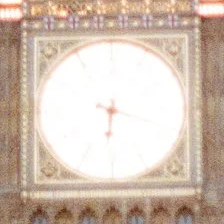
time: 6:17
